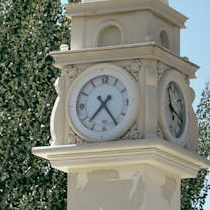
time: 7:24
